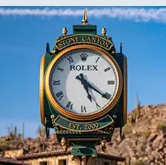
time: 5:20
